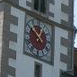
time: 12:52
